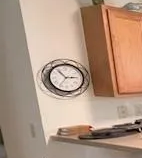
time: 2:53
